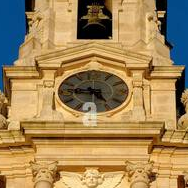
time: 4:45
